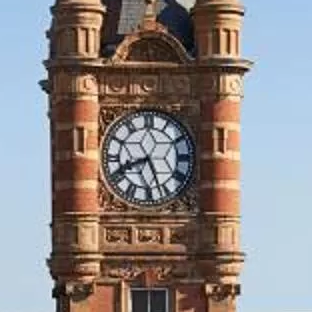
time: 8:26
